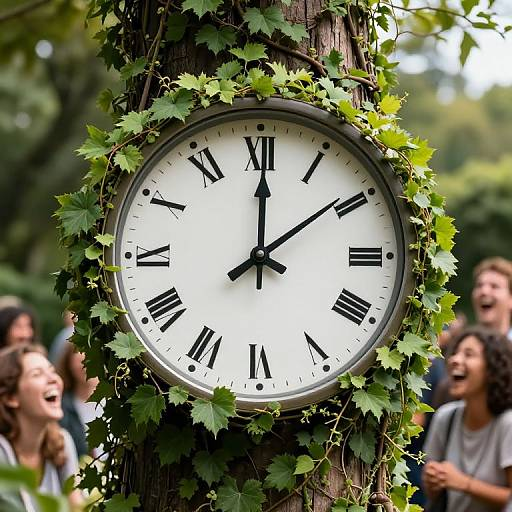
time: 12:08
